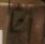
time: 8:38
